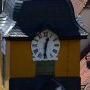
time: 12:30
